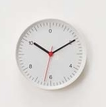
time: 10:10
